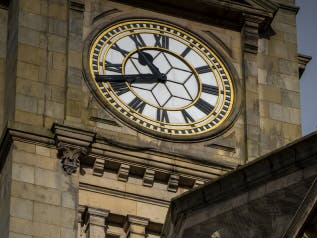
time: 10:42
